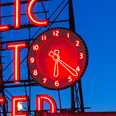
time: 6:21
